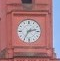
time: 2:35
